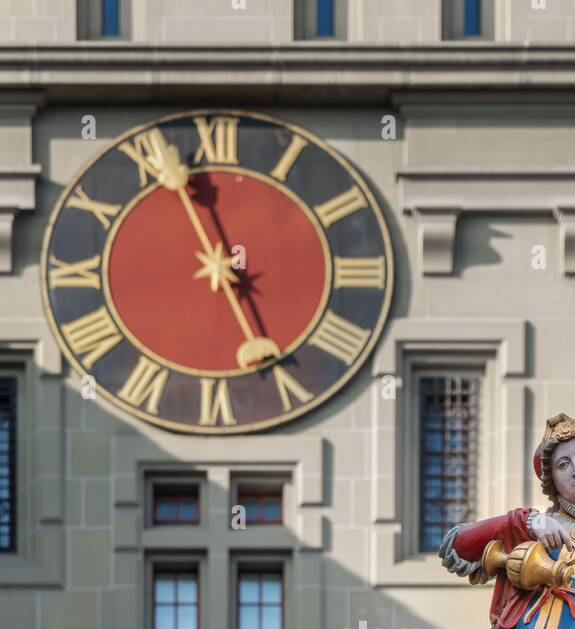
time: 4:57
